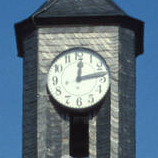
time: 12:13
